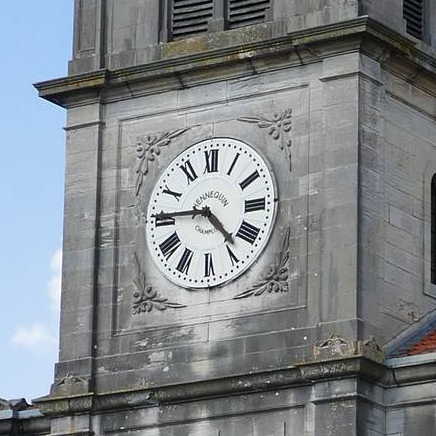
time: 4:45
